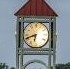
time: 6:41
